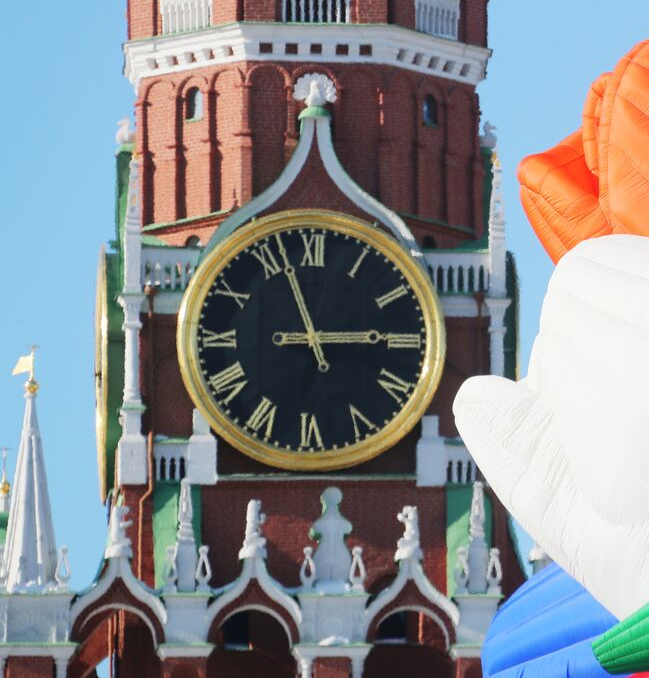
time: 2:56
